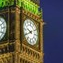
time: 9:40
